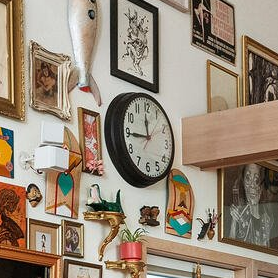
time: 11:44
